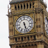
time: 5:27
